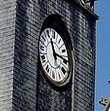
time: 11:14
